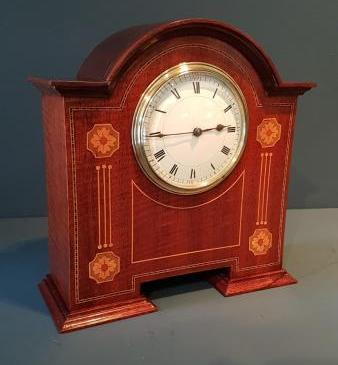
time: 2:44
